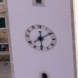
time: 12:09
